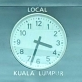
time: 3:33
